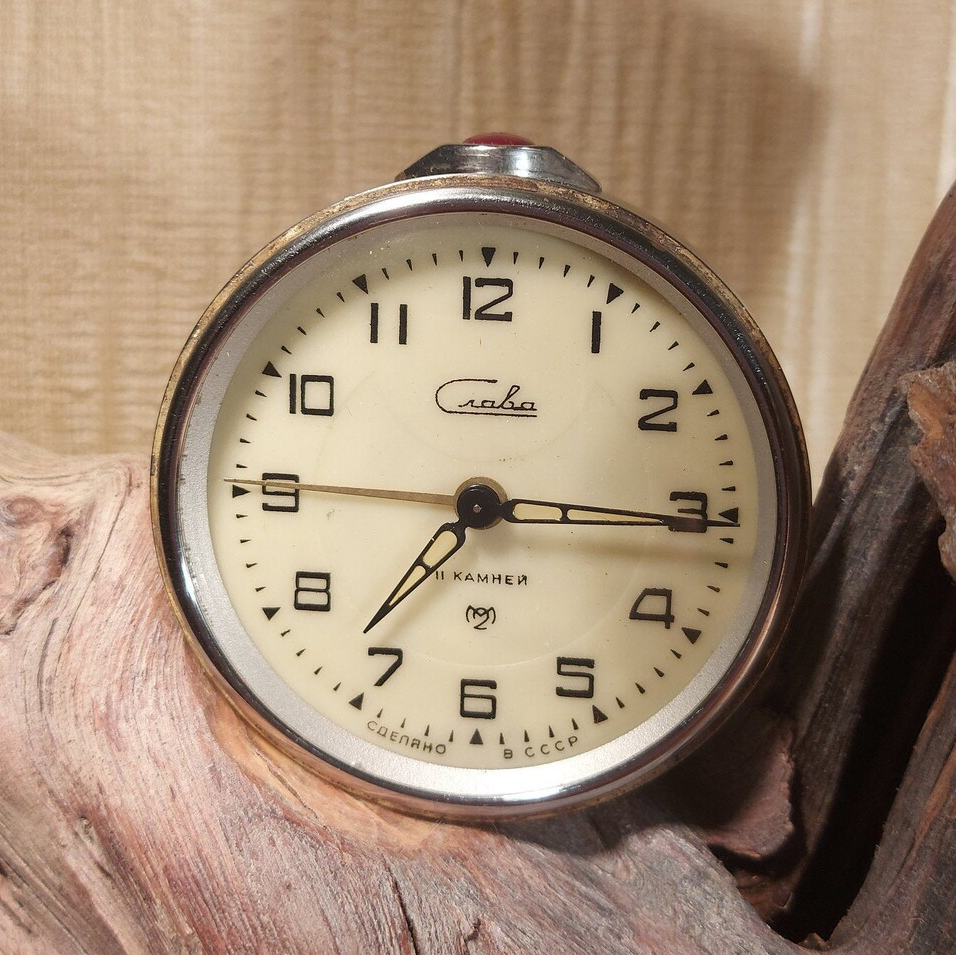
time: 7:15
